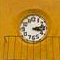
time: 3:12
